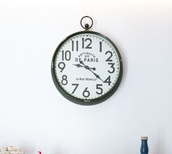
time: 9:21
